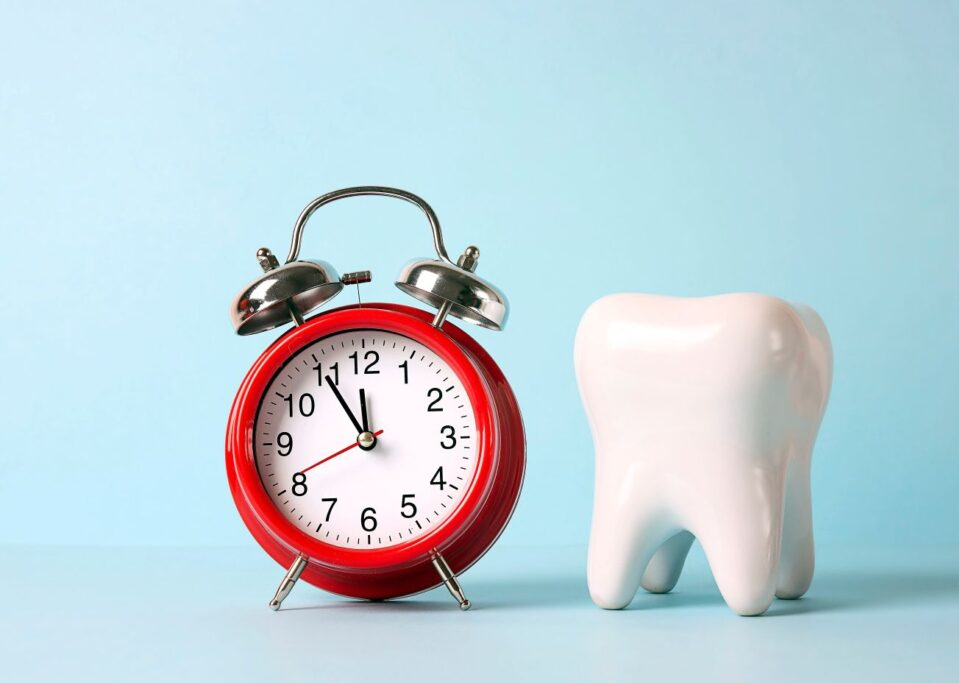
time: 11:54
